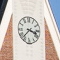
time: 3:37
